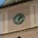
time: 12:07
